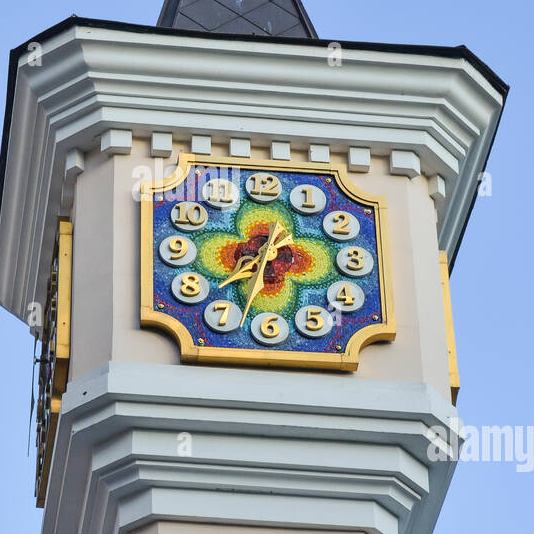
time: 7:33
